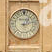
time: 1:12
